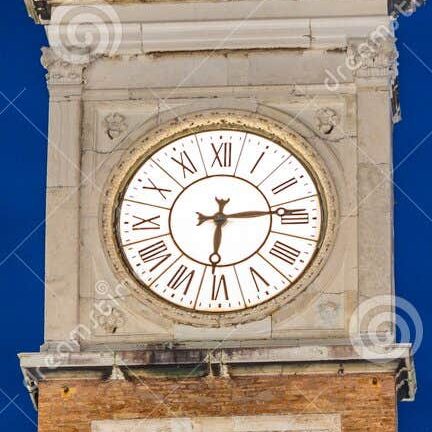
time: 6:14
